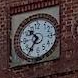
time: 10:35
